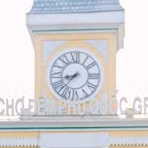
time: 8:37
